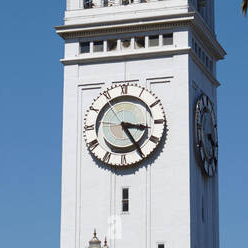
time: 3:24
